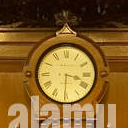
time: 3:30
